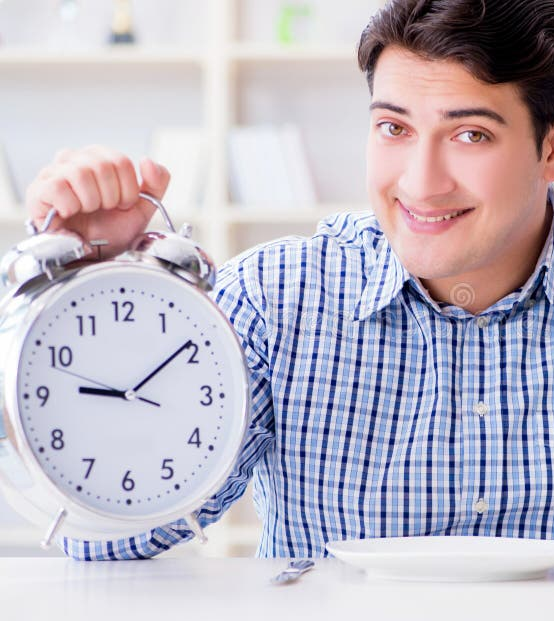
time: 9:09
